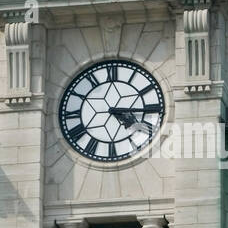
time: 4:15
